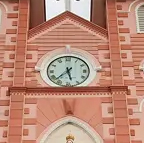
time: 5:37
